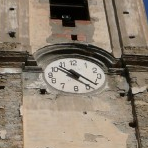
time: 10:20
